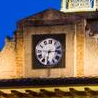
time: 6:13
